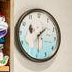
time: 1:29
